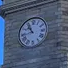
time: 10:42
